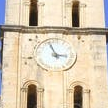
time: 2:56
